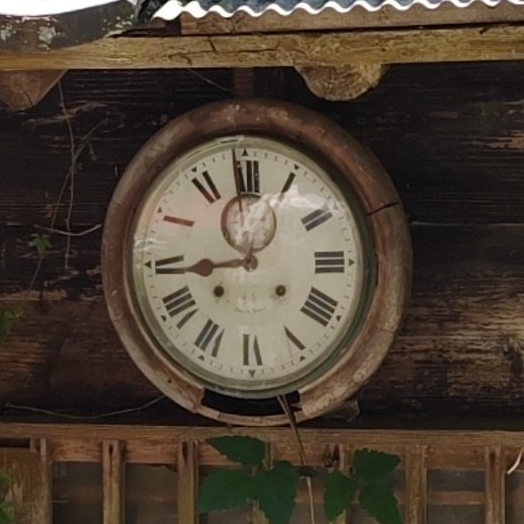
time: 11:43
